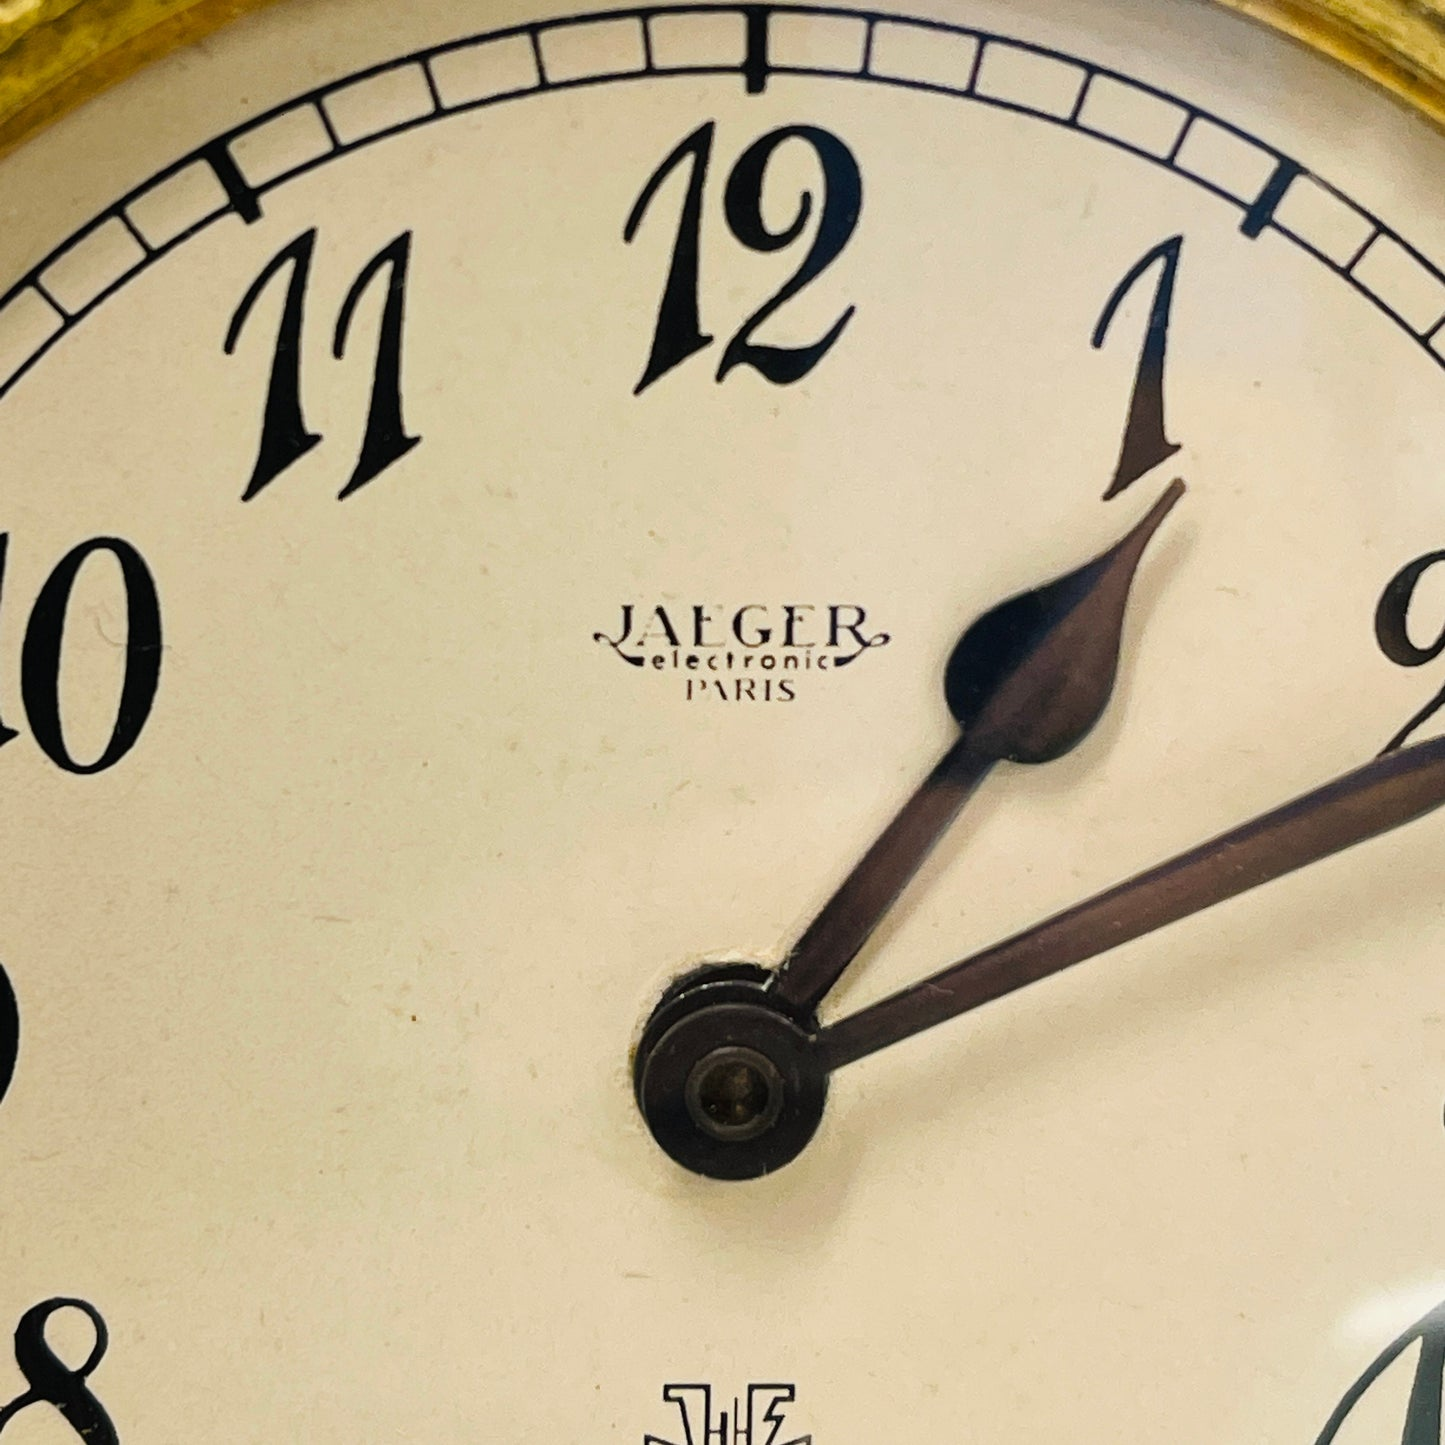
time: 1:11
